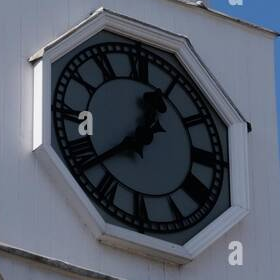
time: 12:38
